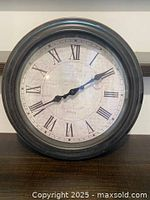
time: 8:09
